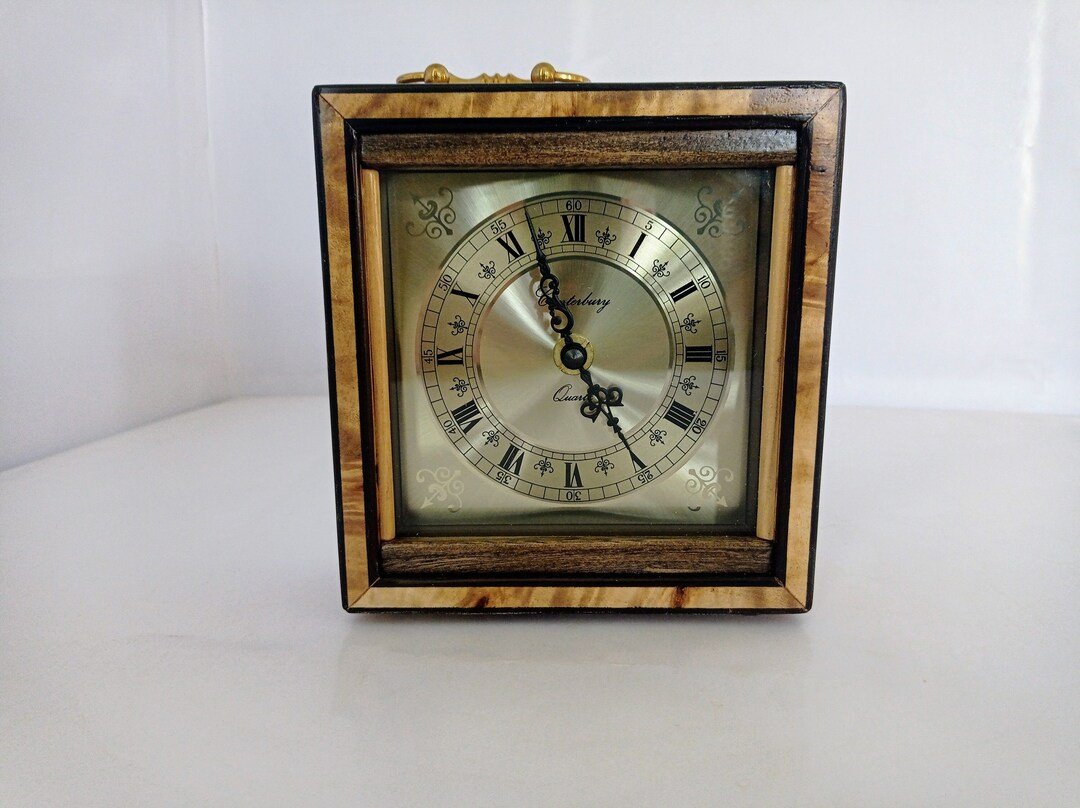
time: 4:56
